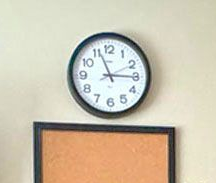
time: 2:56
